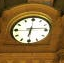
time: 6:13
